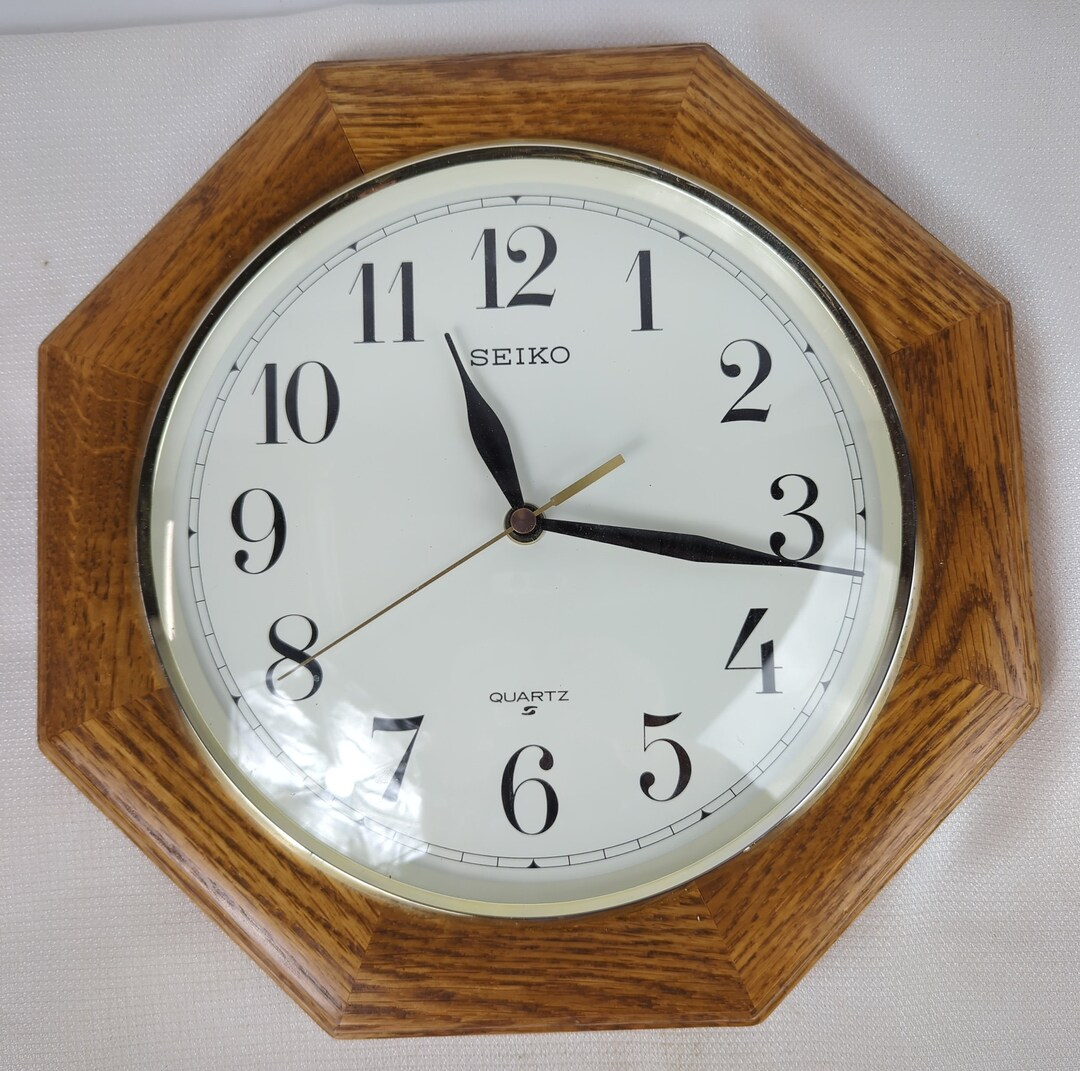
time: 11:16
